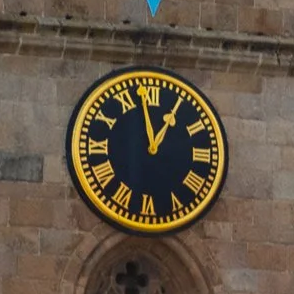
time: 12:58
